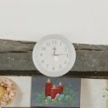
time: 12:14
